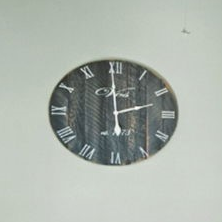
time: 5:59
